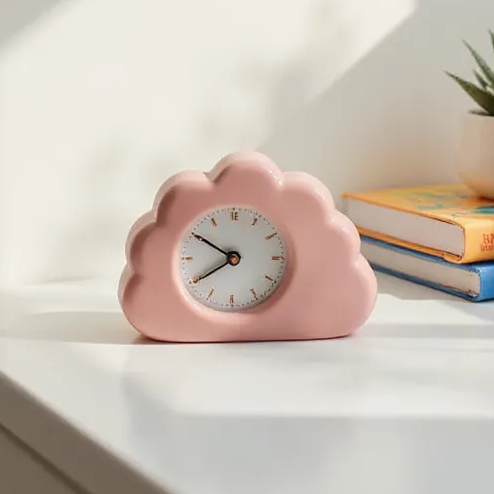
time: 7:50
